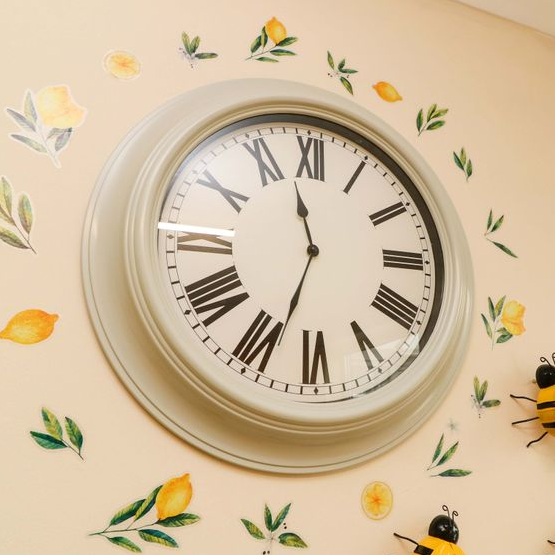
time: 11:33
